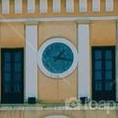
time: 1:16
